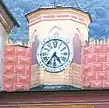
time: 4:35
